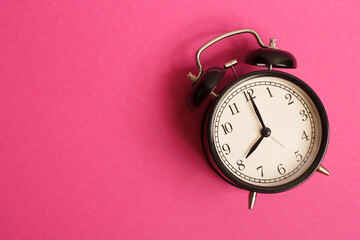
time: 8:00
